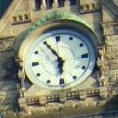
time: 5:54
